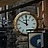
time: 10:00
